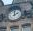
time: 1:59
